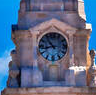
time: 10:42
